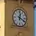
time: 12:19
